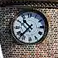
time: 10:37
